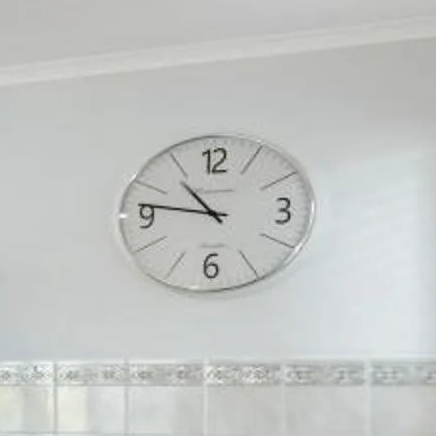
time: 10:46
